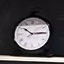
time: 10:14
